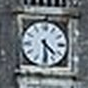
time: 4:29
